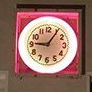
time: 9:05
